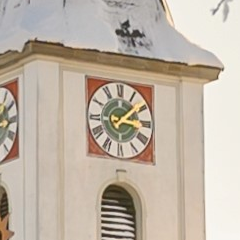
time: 3:08
